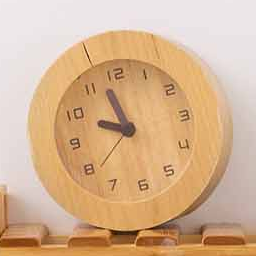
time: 9:57
